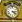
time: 3:22
